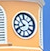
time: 10:41
